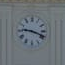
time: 9:18
